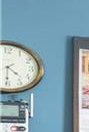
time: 4:31
